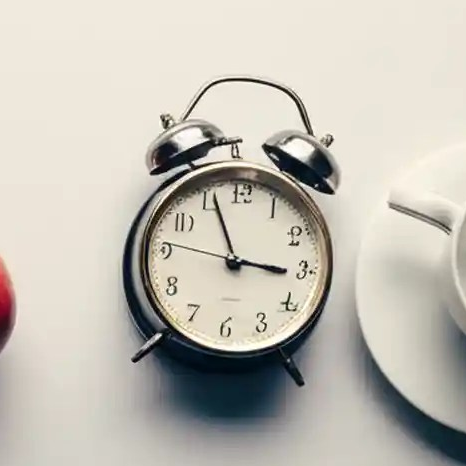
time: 2:56
